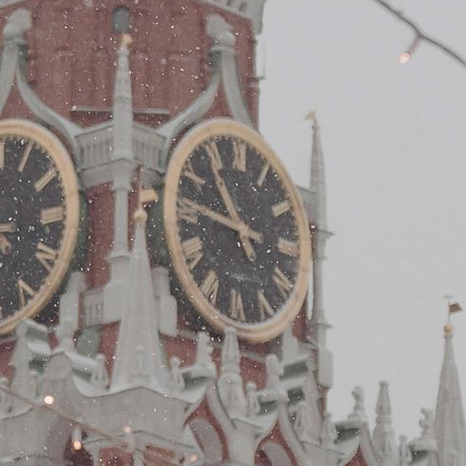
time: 10:46
